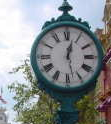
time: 12:27
